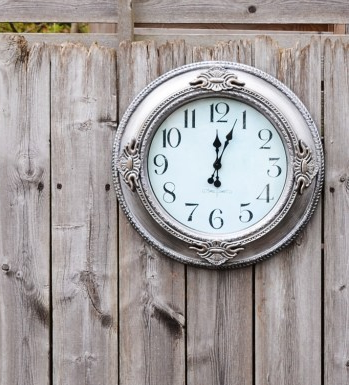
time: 12:03
